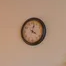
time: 4:02
